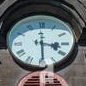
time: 3:29
